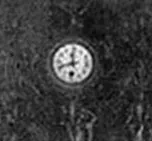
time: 11:41
